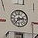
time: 2:36
